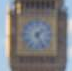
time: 5:08
